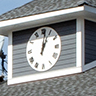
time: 1:01
